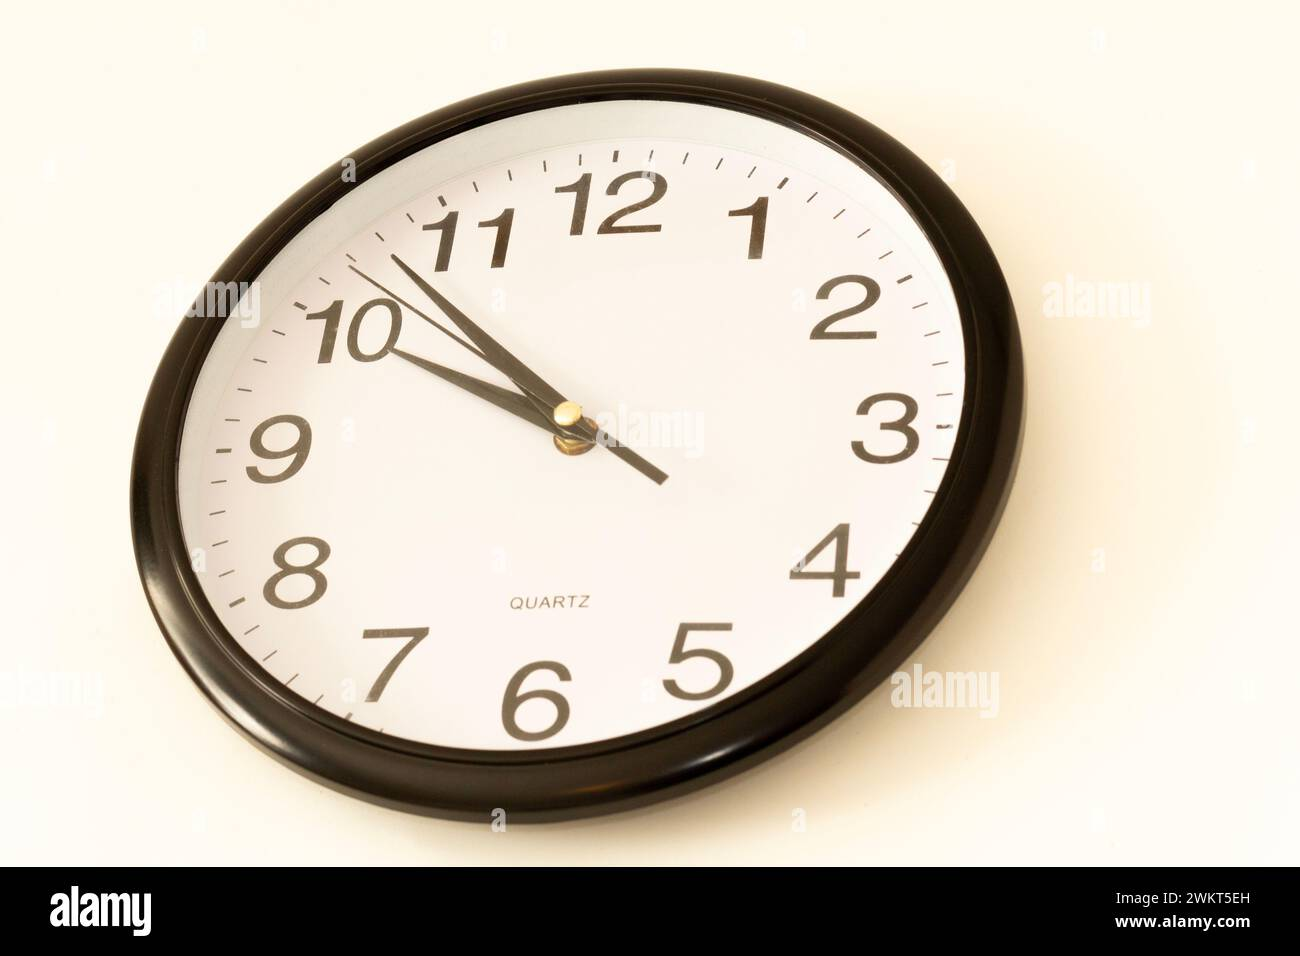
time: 9:52
